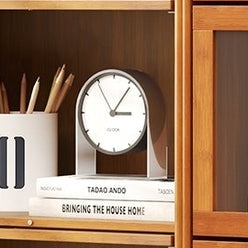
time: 3:05
